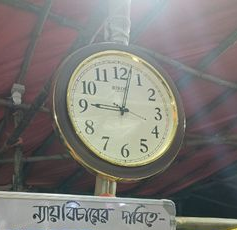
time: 9:02
